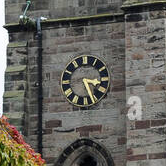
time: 3:26
